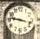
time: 9:17
